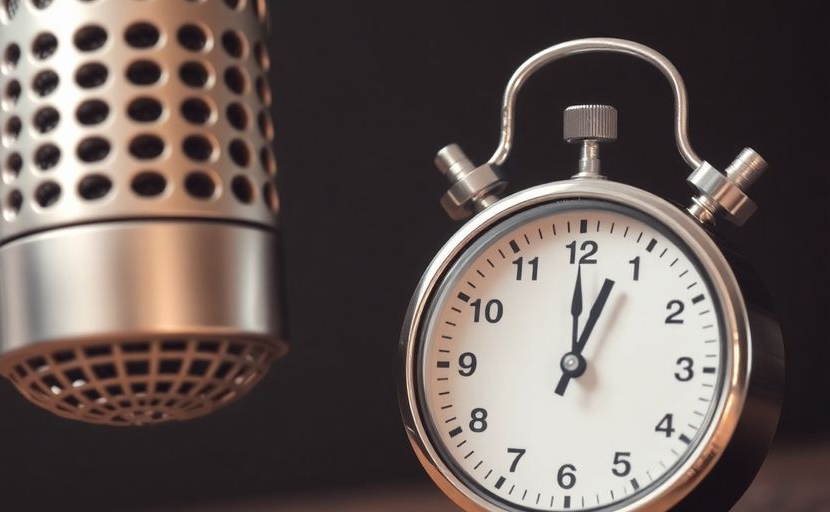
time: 1:00
